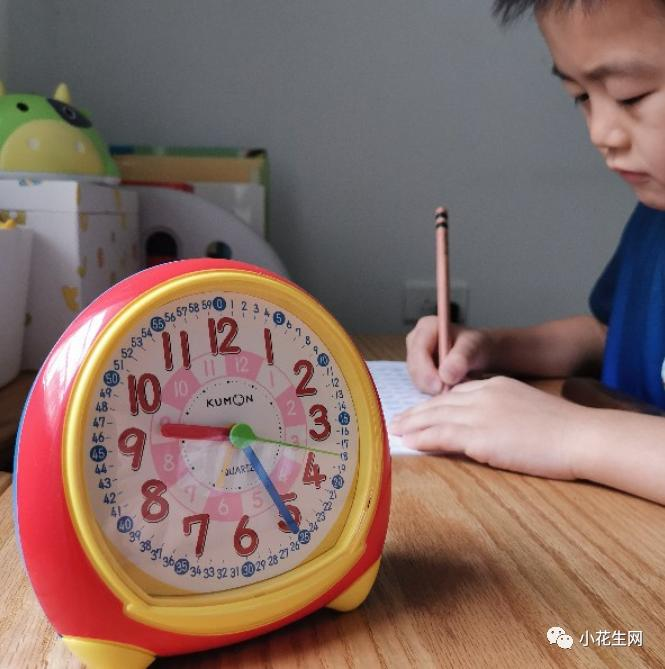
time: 9:25
